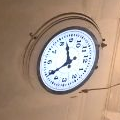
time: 11:39
